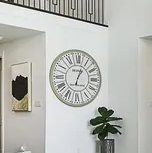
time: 1:02
